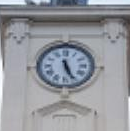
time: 5:26
